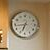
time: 6:43
